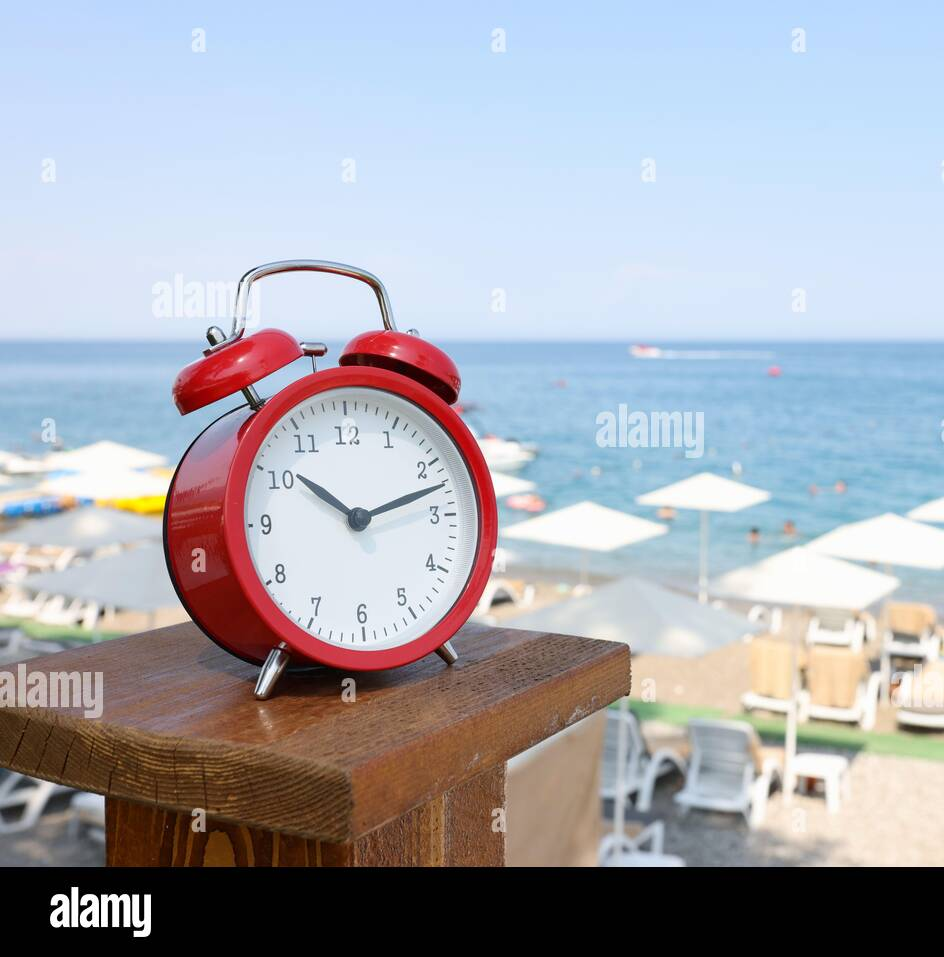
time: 10:12
